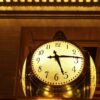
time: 5:14
